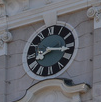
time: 8:16
